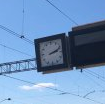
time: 2:12
